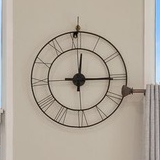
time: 12:15
